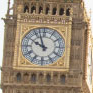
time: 9:57
